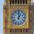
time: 1:00
